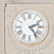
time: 2:23
